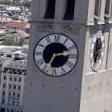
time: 2:34
